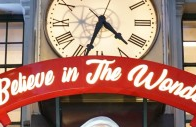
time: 4:33
